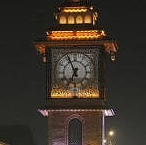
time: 6:55
